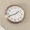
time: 1:41
